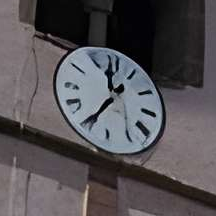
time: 11:35
